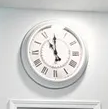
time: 10:59
